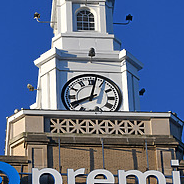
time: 8:01
